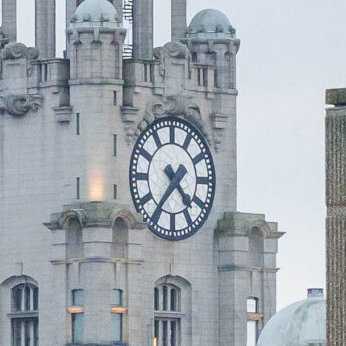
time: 4:36
